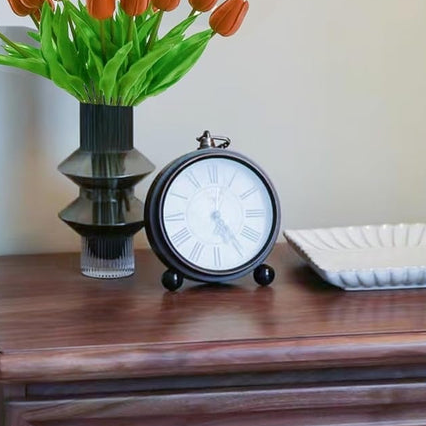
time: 12:24
